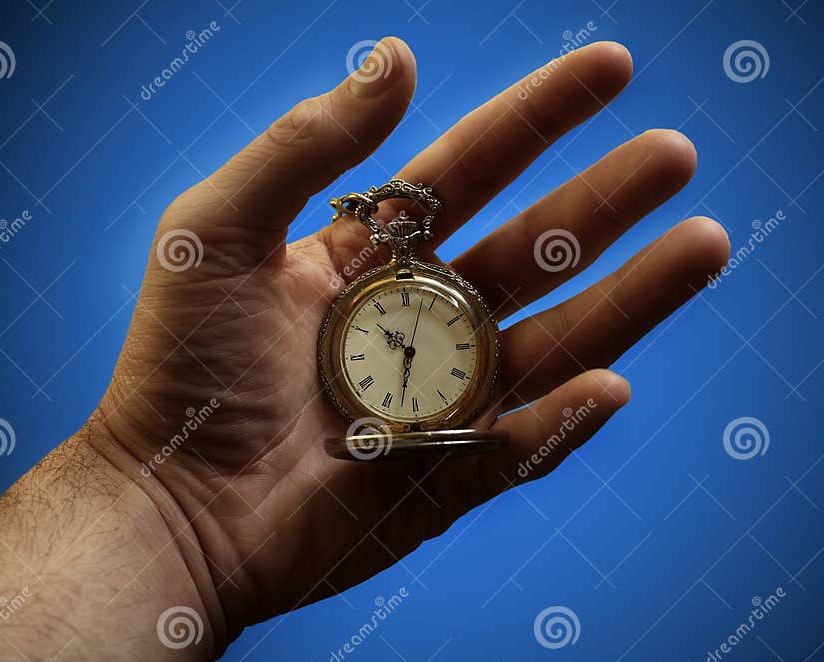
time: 10:32
